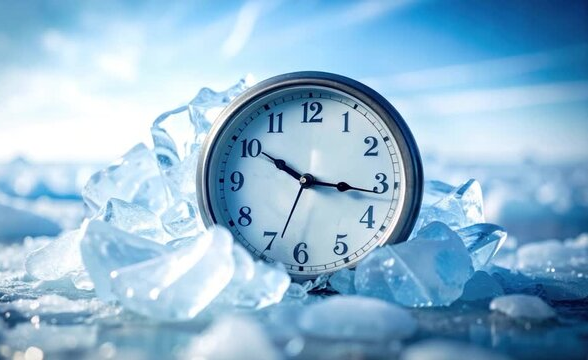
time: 10:16
